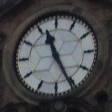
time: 11:25
